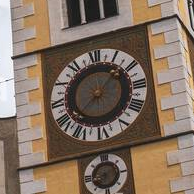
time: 1:37
